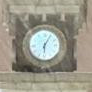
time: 6:04
